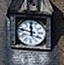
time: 11:47
